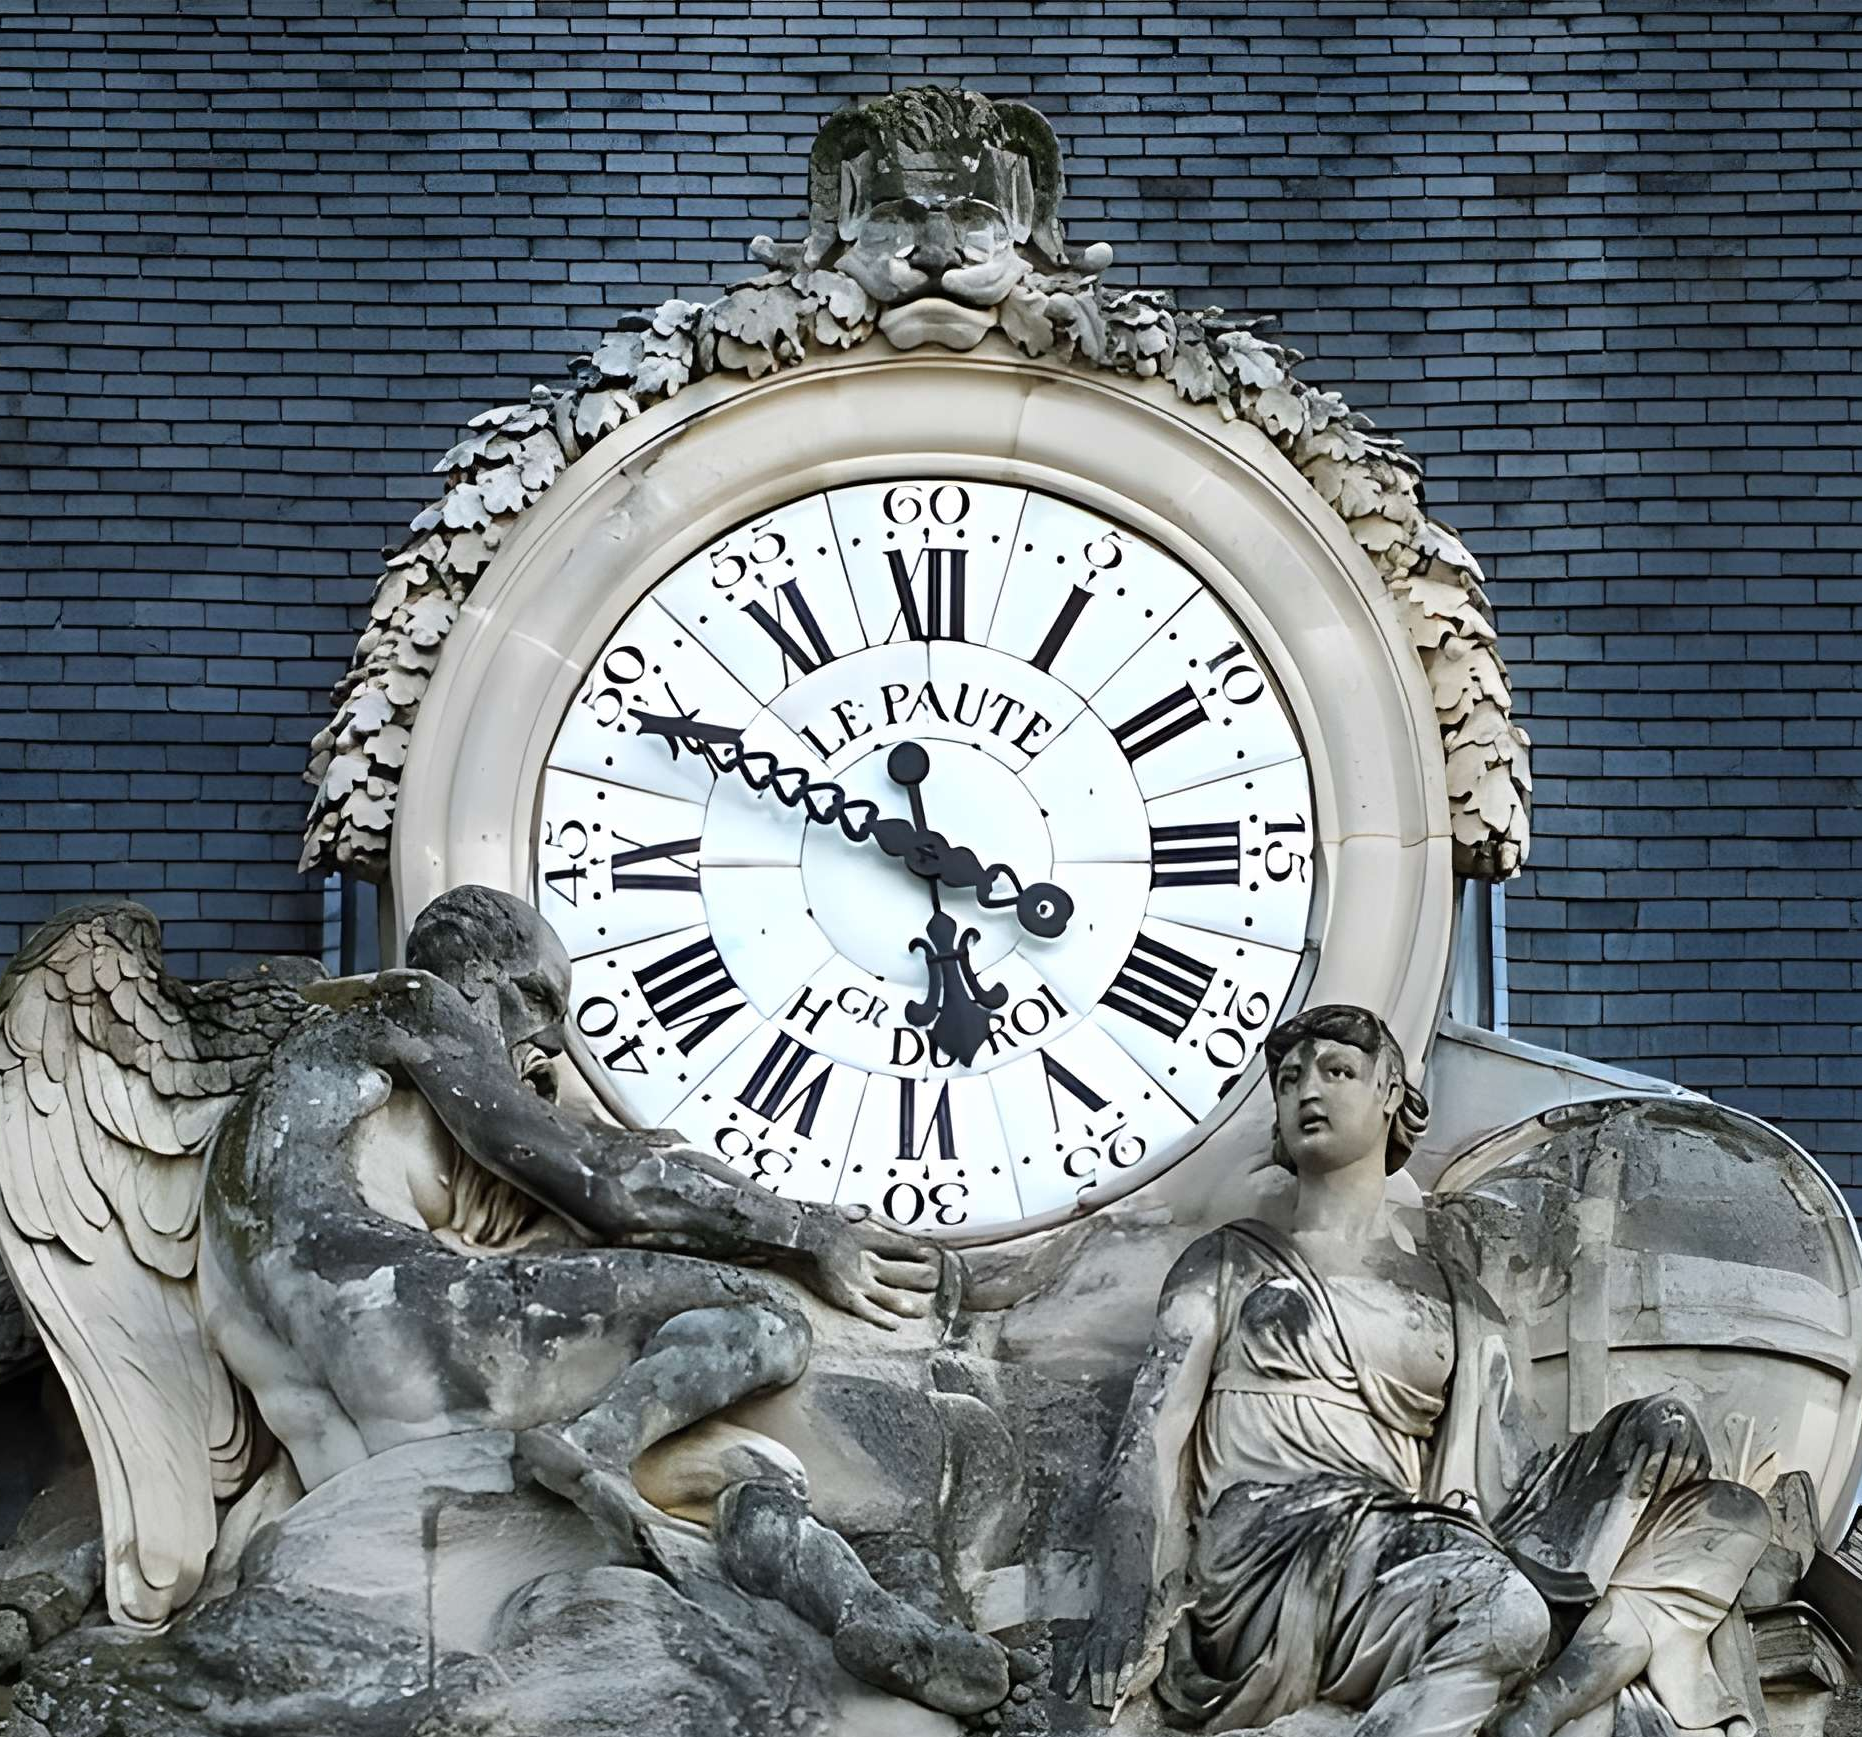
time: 5:49
